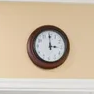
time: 2:59
